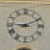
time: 9:10
